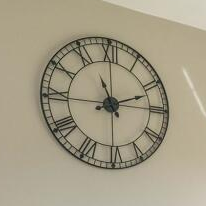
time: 11:11
